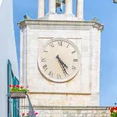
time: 4:25
